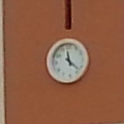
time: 11:22
